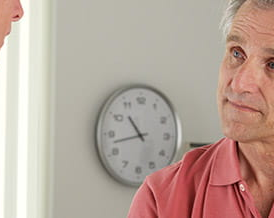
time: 10:42
